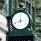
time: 11:41
